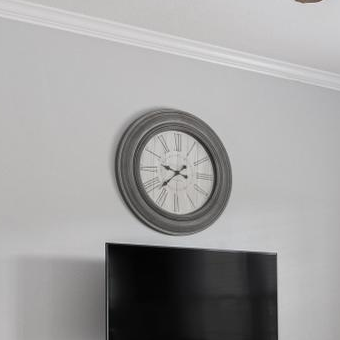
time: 9:37
